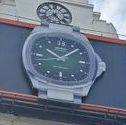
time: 10:07
